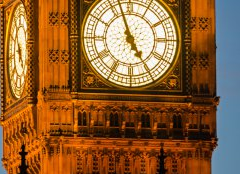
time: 4:57
